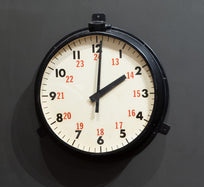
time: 2:00
